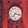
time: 7:17
